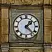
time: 1:22
